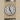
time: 11:25
